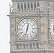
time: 12:32
